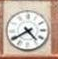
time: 4:39
